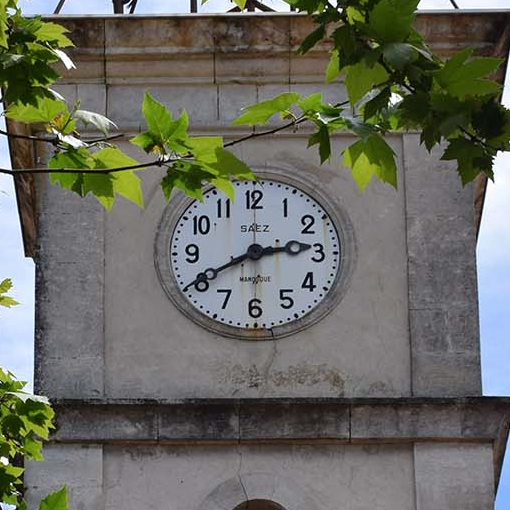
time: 2:40
